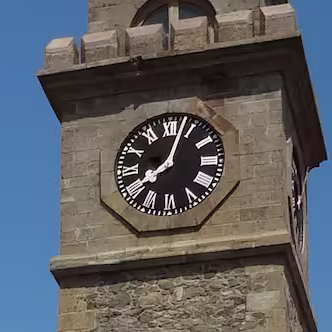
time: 8:03
